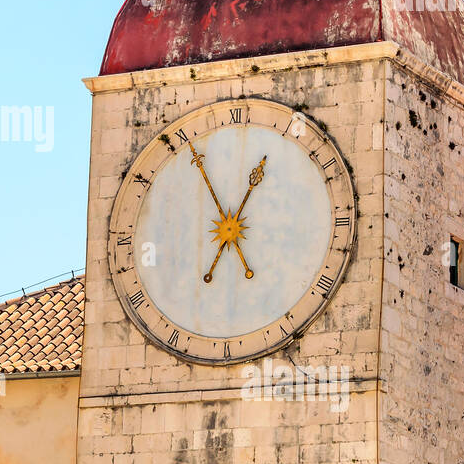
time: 12:55
